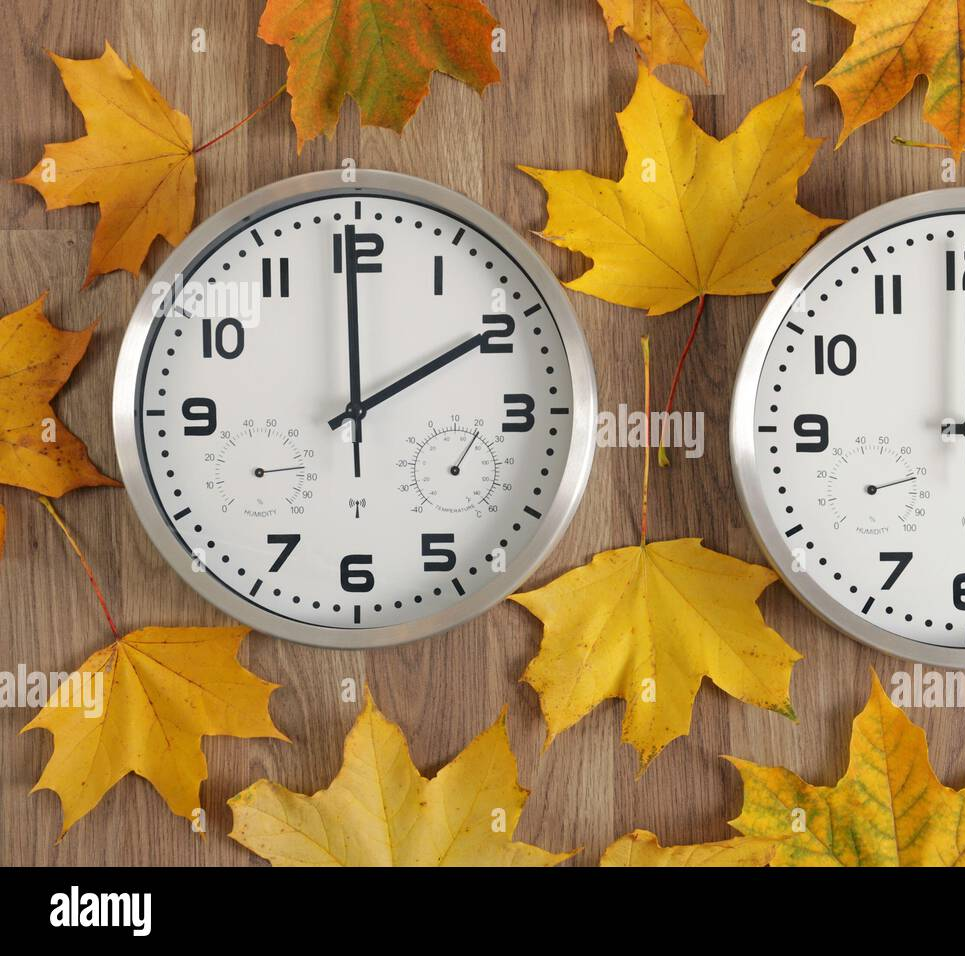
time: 1:59
